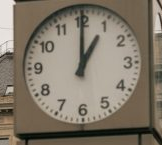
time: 1:00
